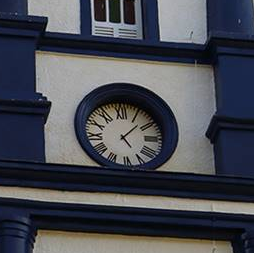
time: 5:07
